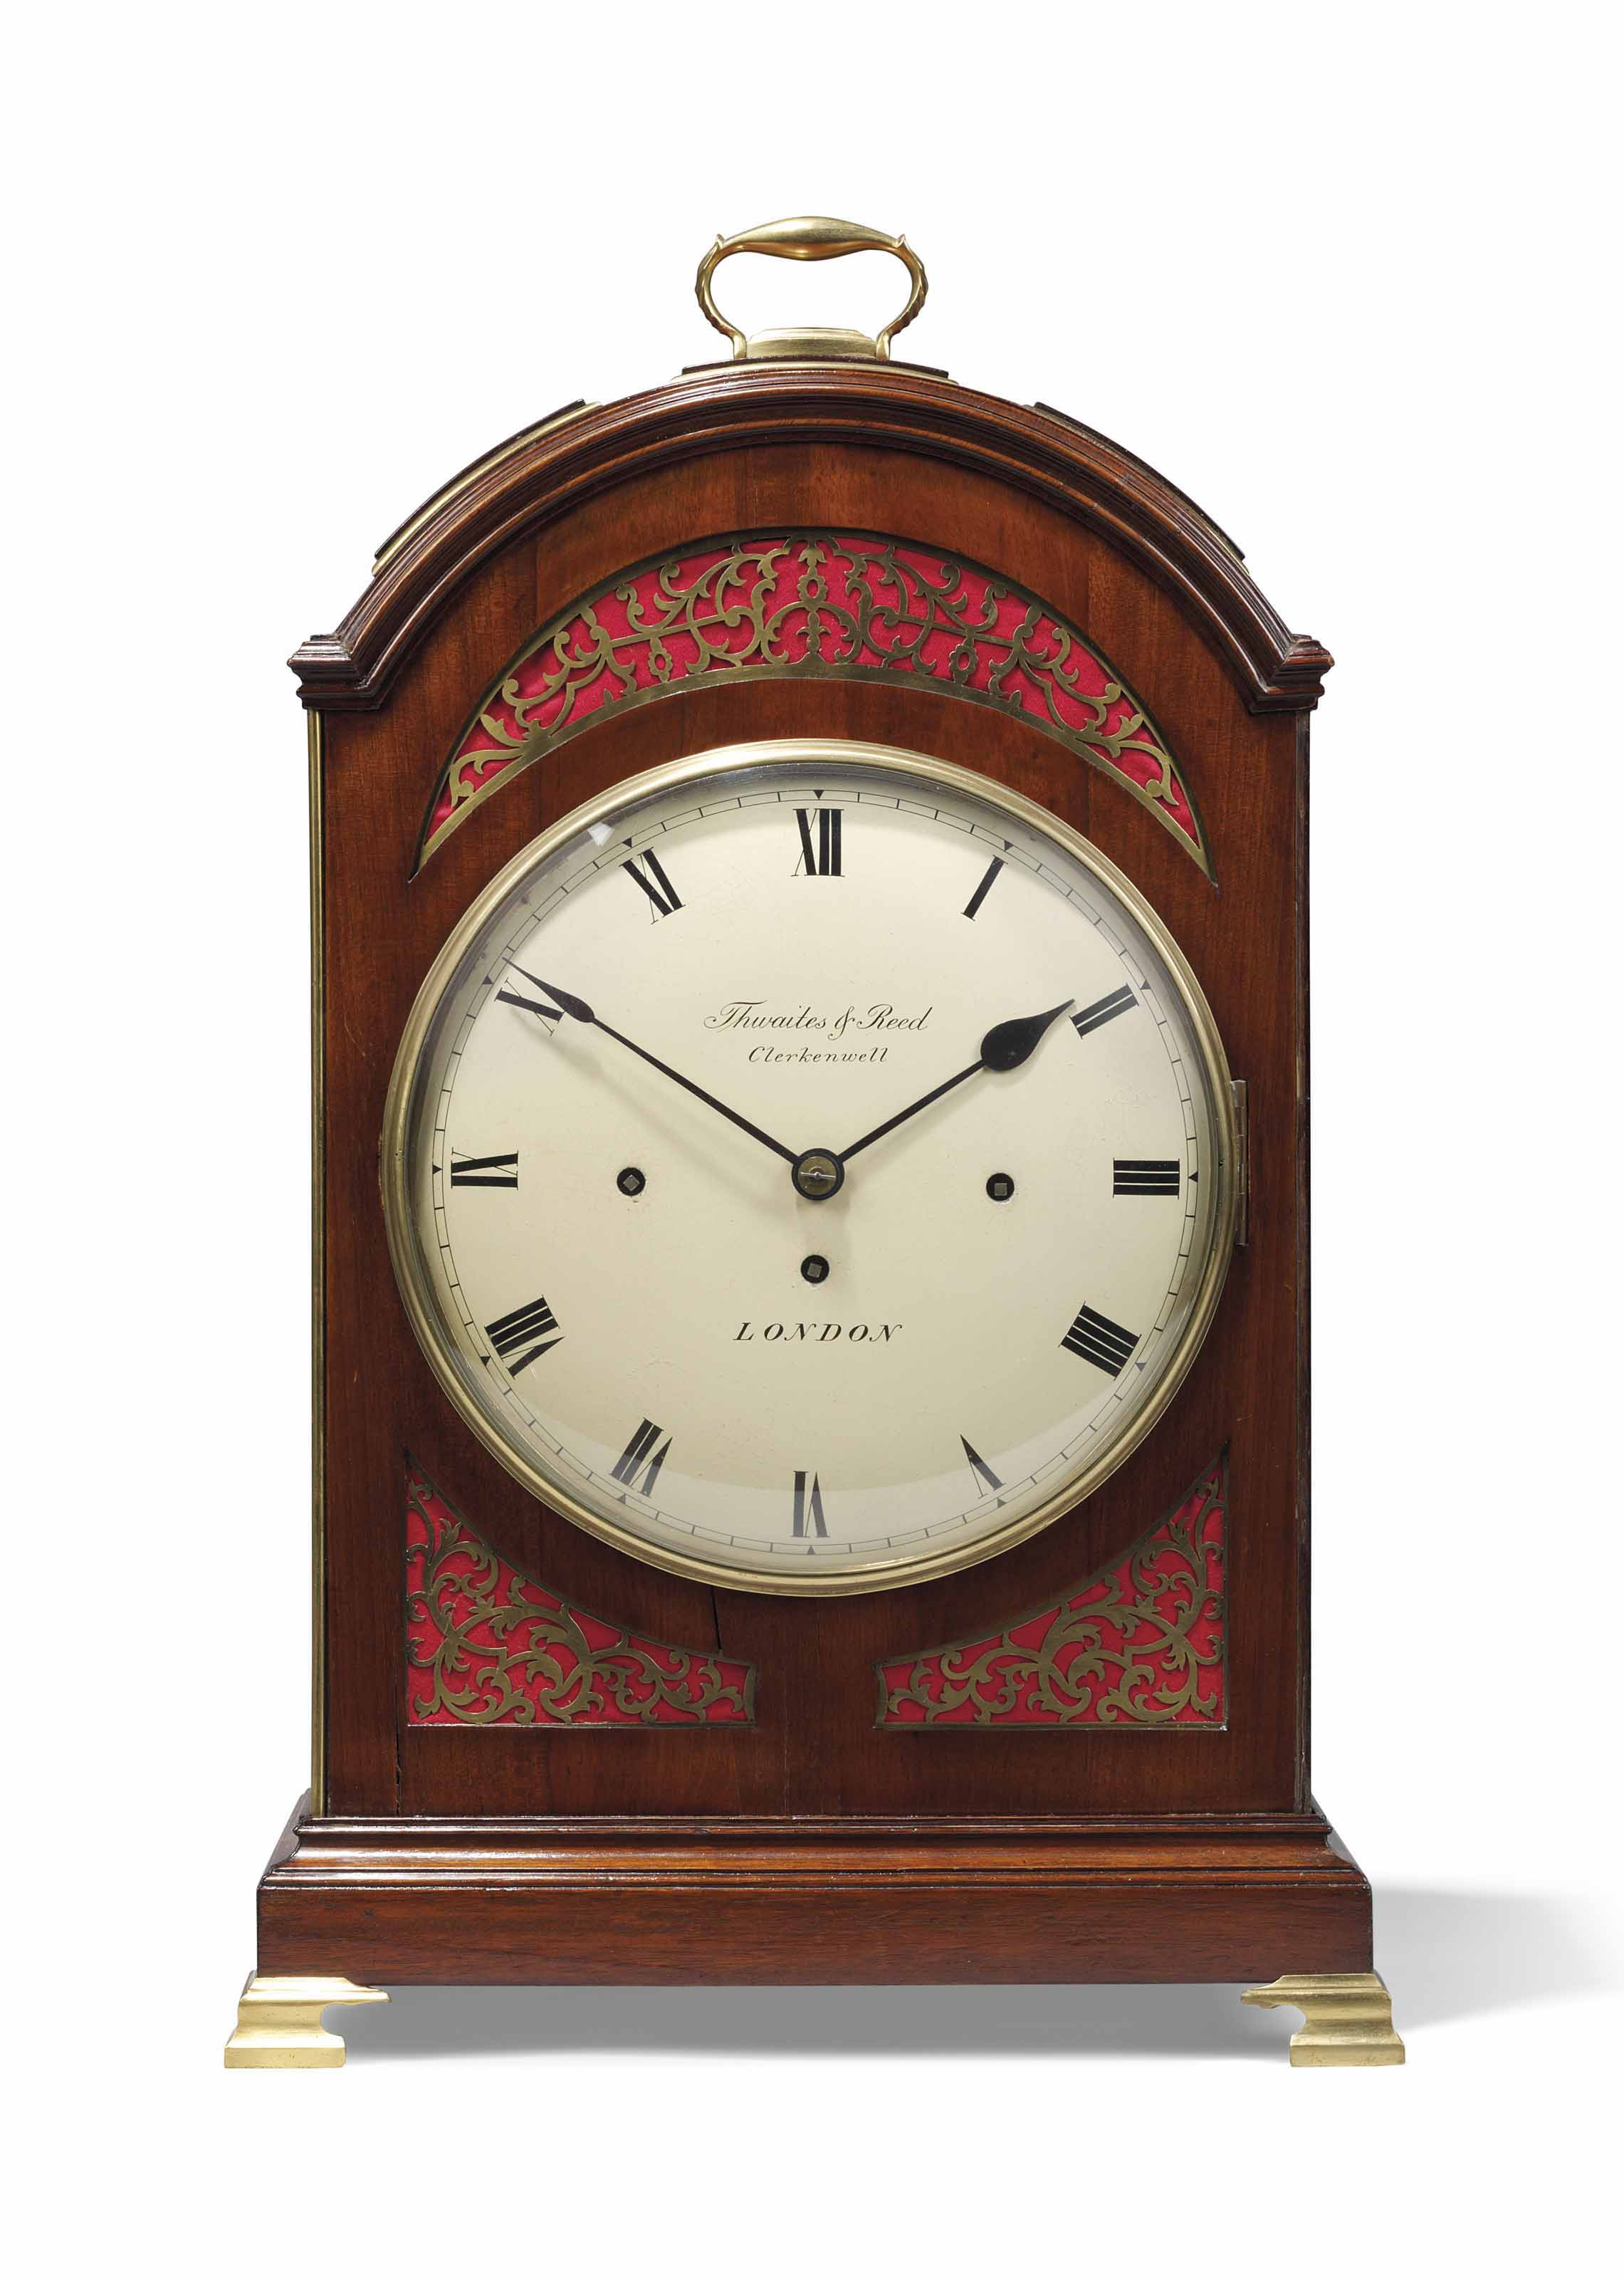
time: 1:50
